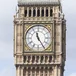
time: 11:24
